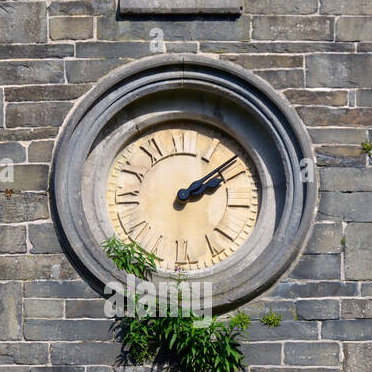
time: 2:08
